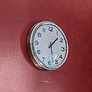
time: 1:28
